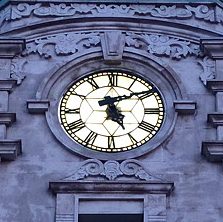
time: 5:09
